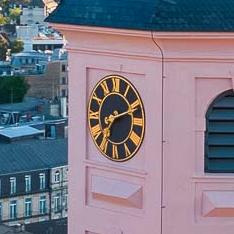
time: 7:11
